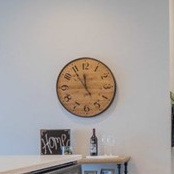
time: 11:54
